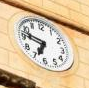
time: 6:47
